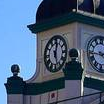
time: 12:26
